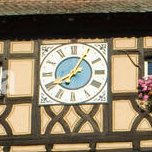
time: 8:04
